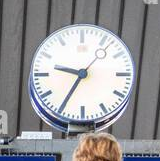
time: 9:35
